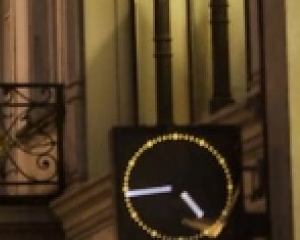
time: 4:44
